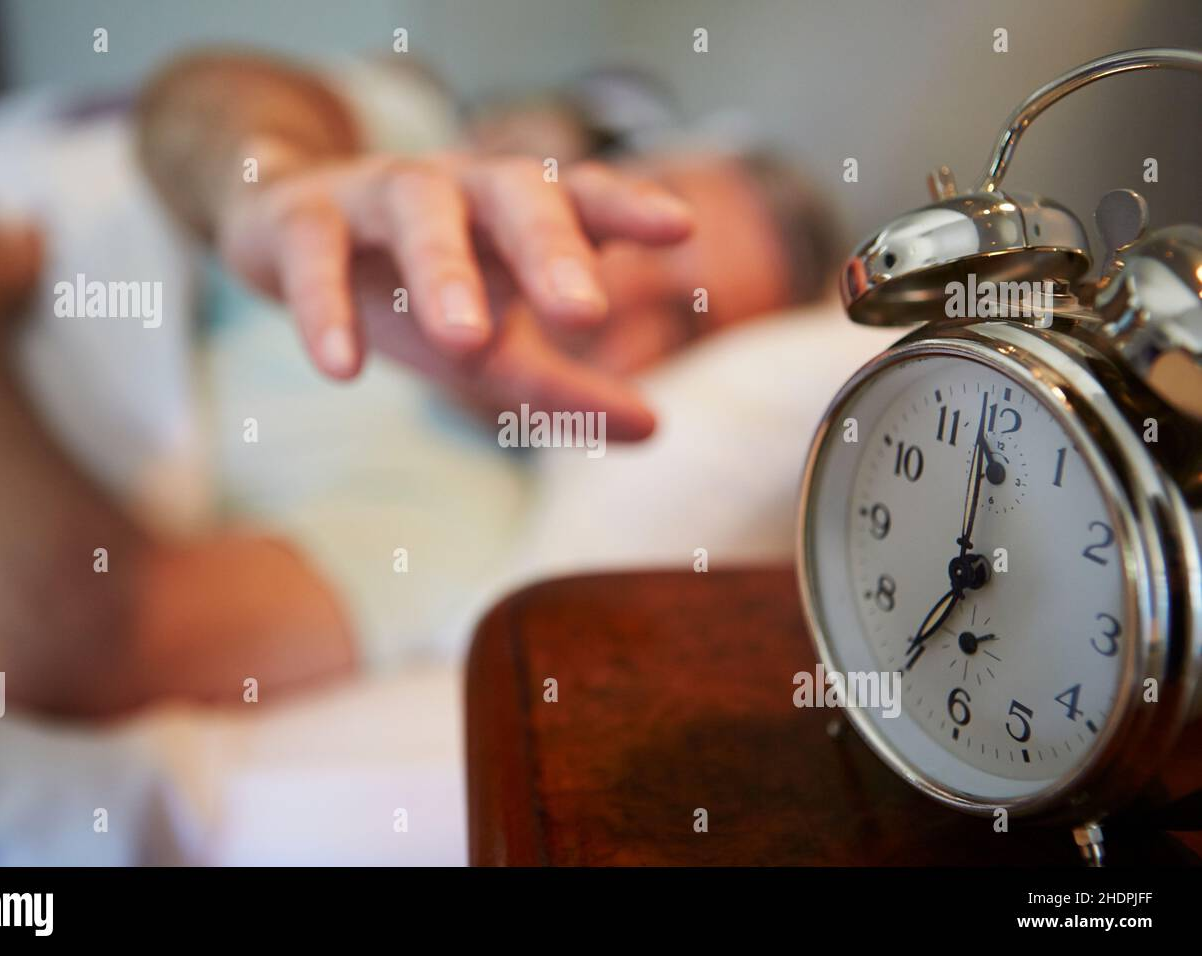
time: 7:00
